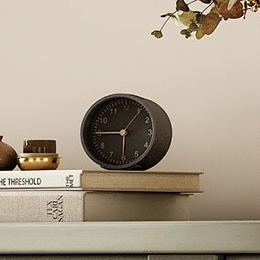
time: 5:45
